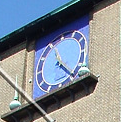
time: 11:22
